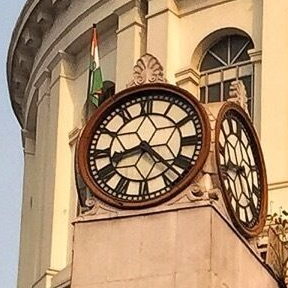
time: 8:22
